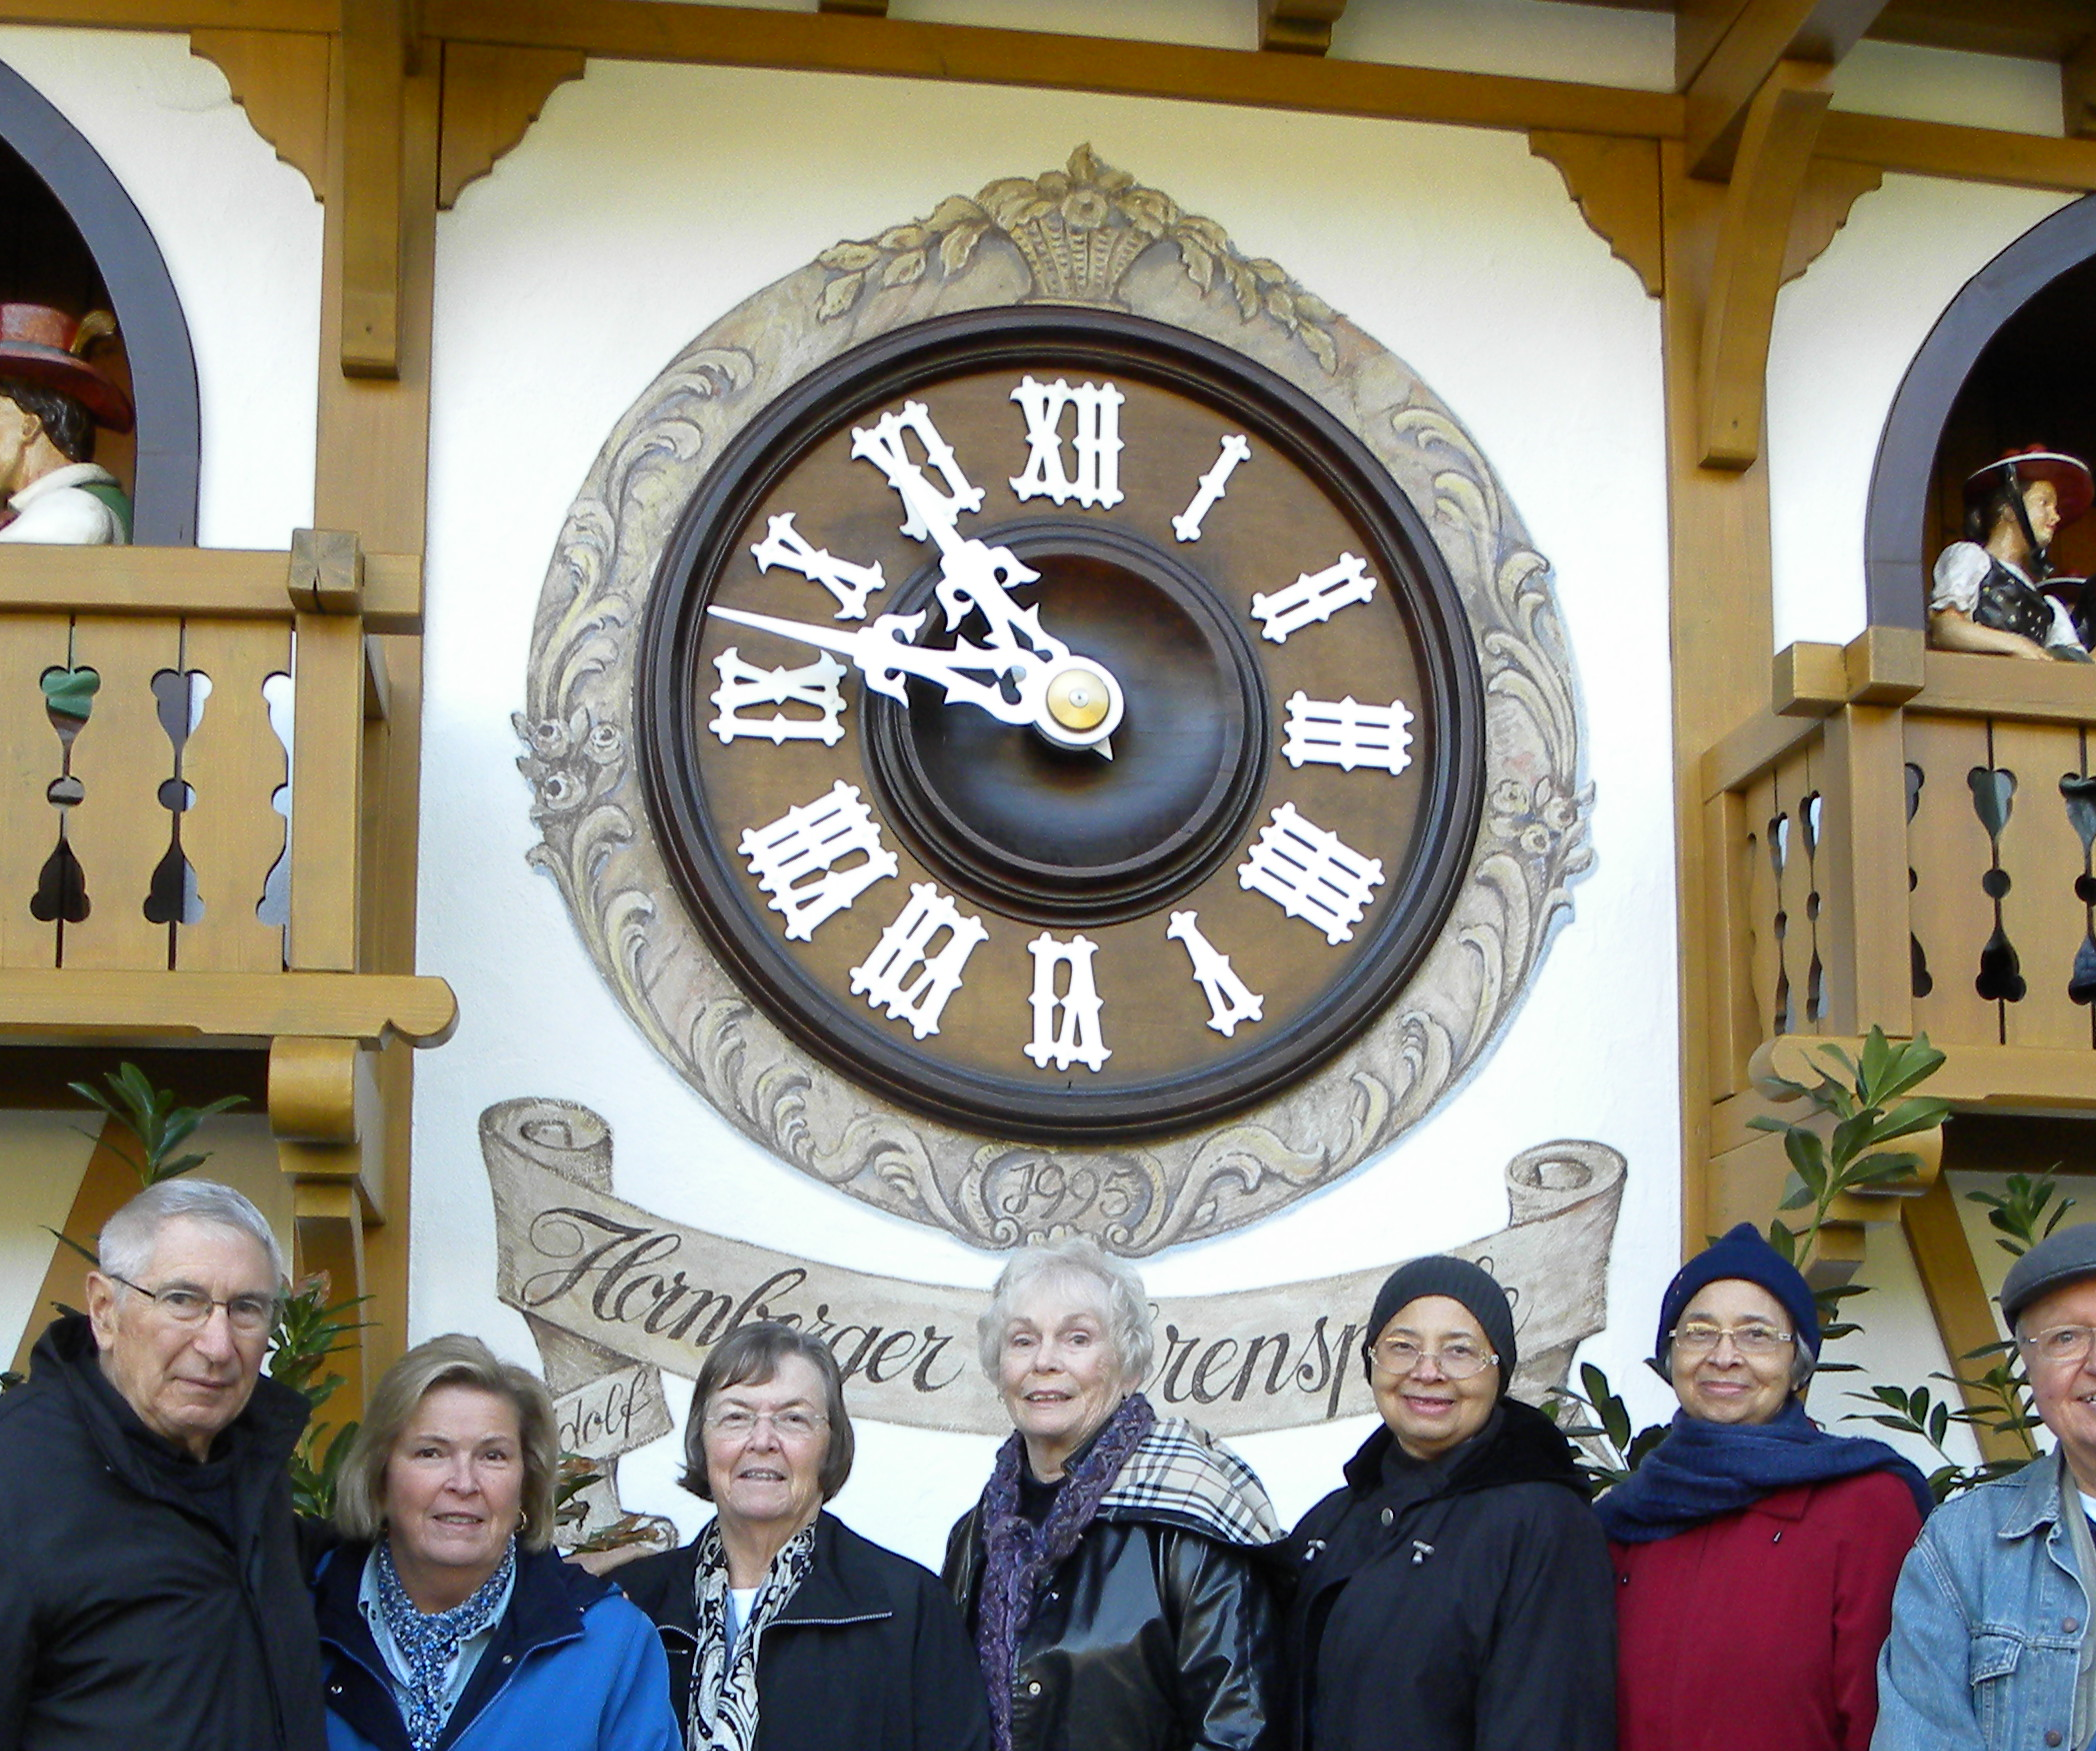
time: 10:47
